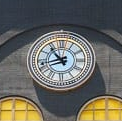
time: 10:42
